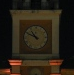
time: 10:49
